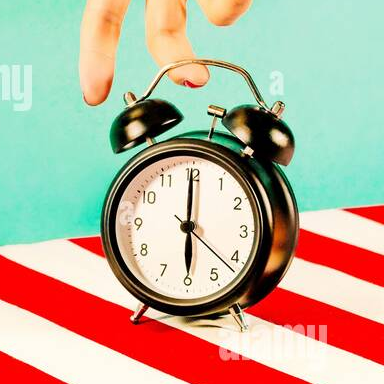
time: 6:00
